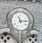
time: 11:13
